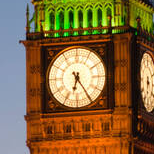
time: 6:24
